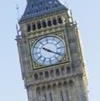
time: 10:20
